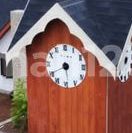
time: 5:40
